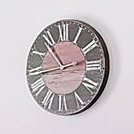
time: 10:43
